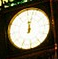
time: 12:03
